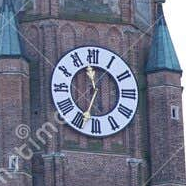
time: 11:33
